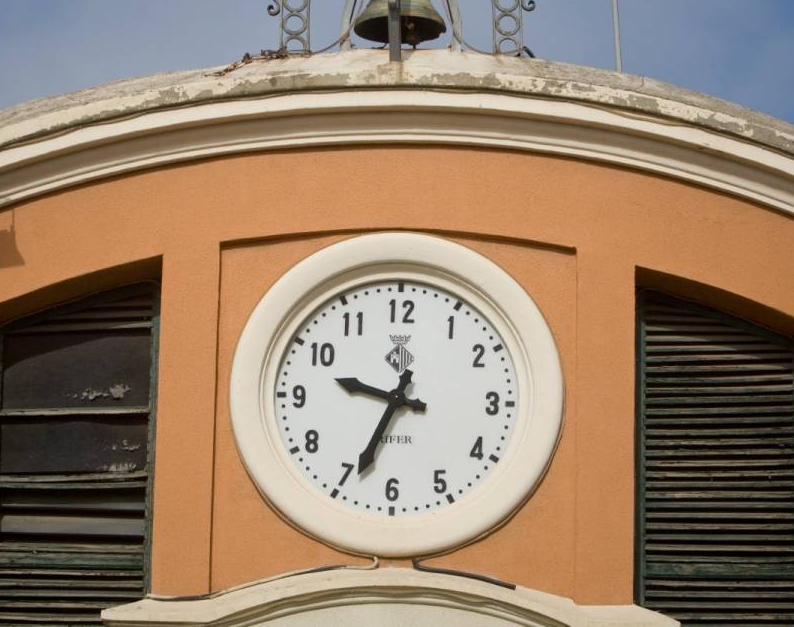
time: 9:33
